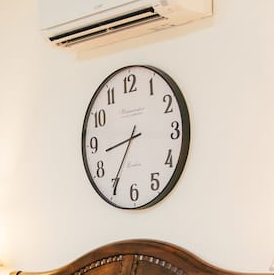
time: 8:35
